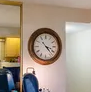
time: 4:22
